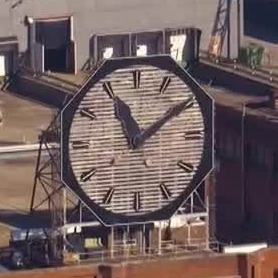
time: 11:09
